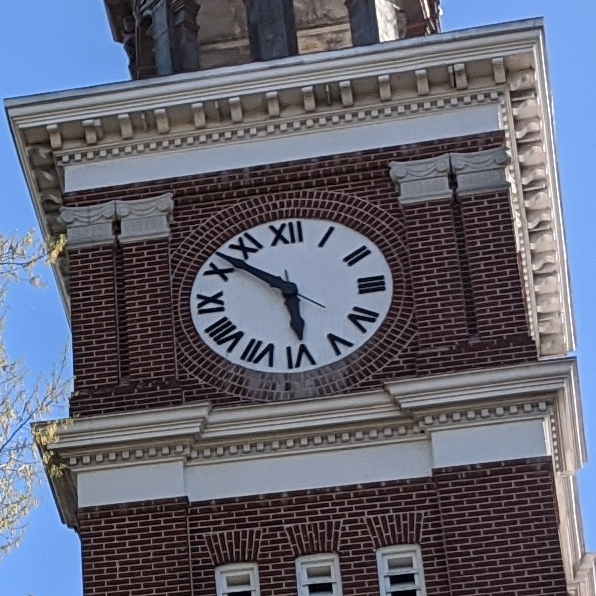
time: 5:51
